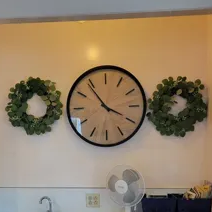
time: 3:54
